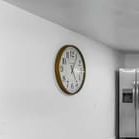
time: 5:05
